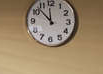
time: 11:52
